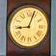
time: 9:03
